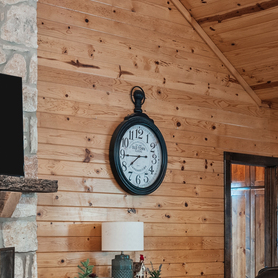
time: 7:44
